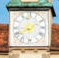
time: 8:09
